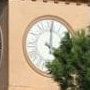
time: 4:01
